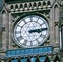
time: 3:13
